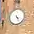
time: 4:26
